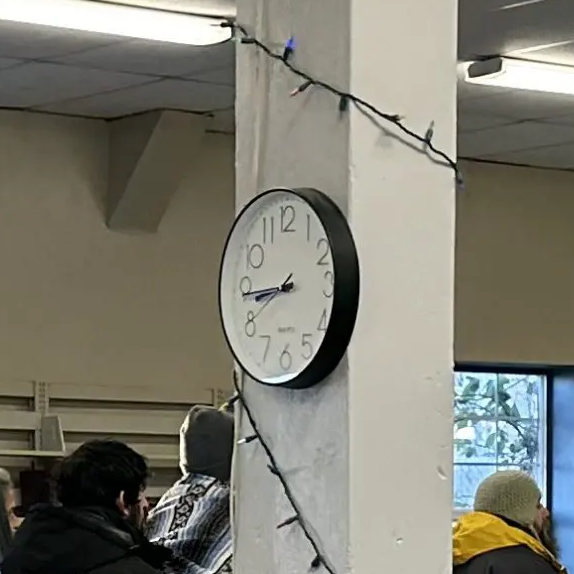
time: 8:44
